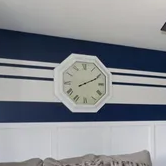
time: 2:10
